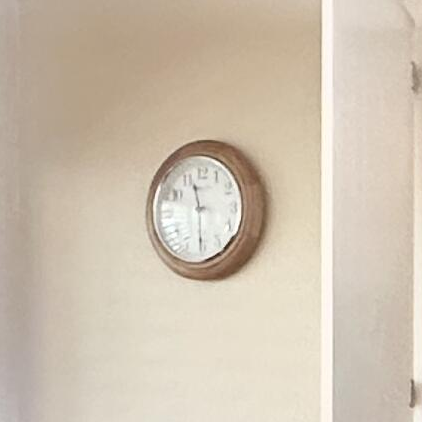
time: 11:29
